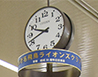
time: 9:41
